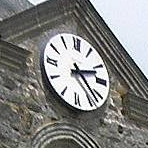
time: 2:22
